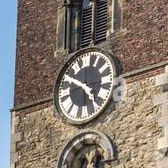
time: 4:50
